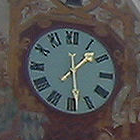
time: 1:28
